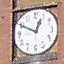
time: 12:49
